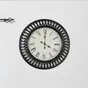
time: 4:00
